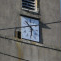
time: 5:51
